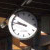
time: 9:46
